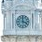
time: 3:59
